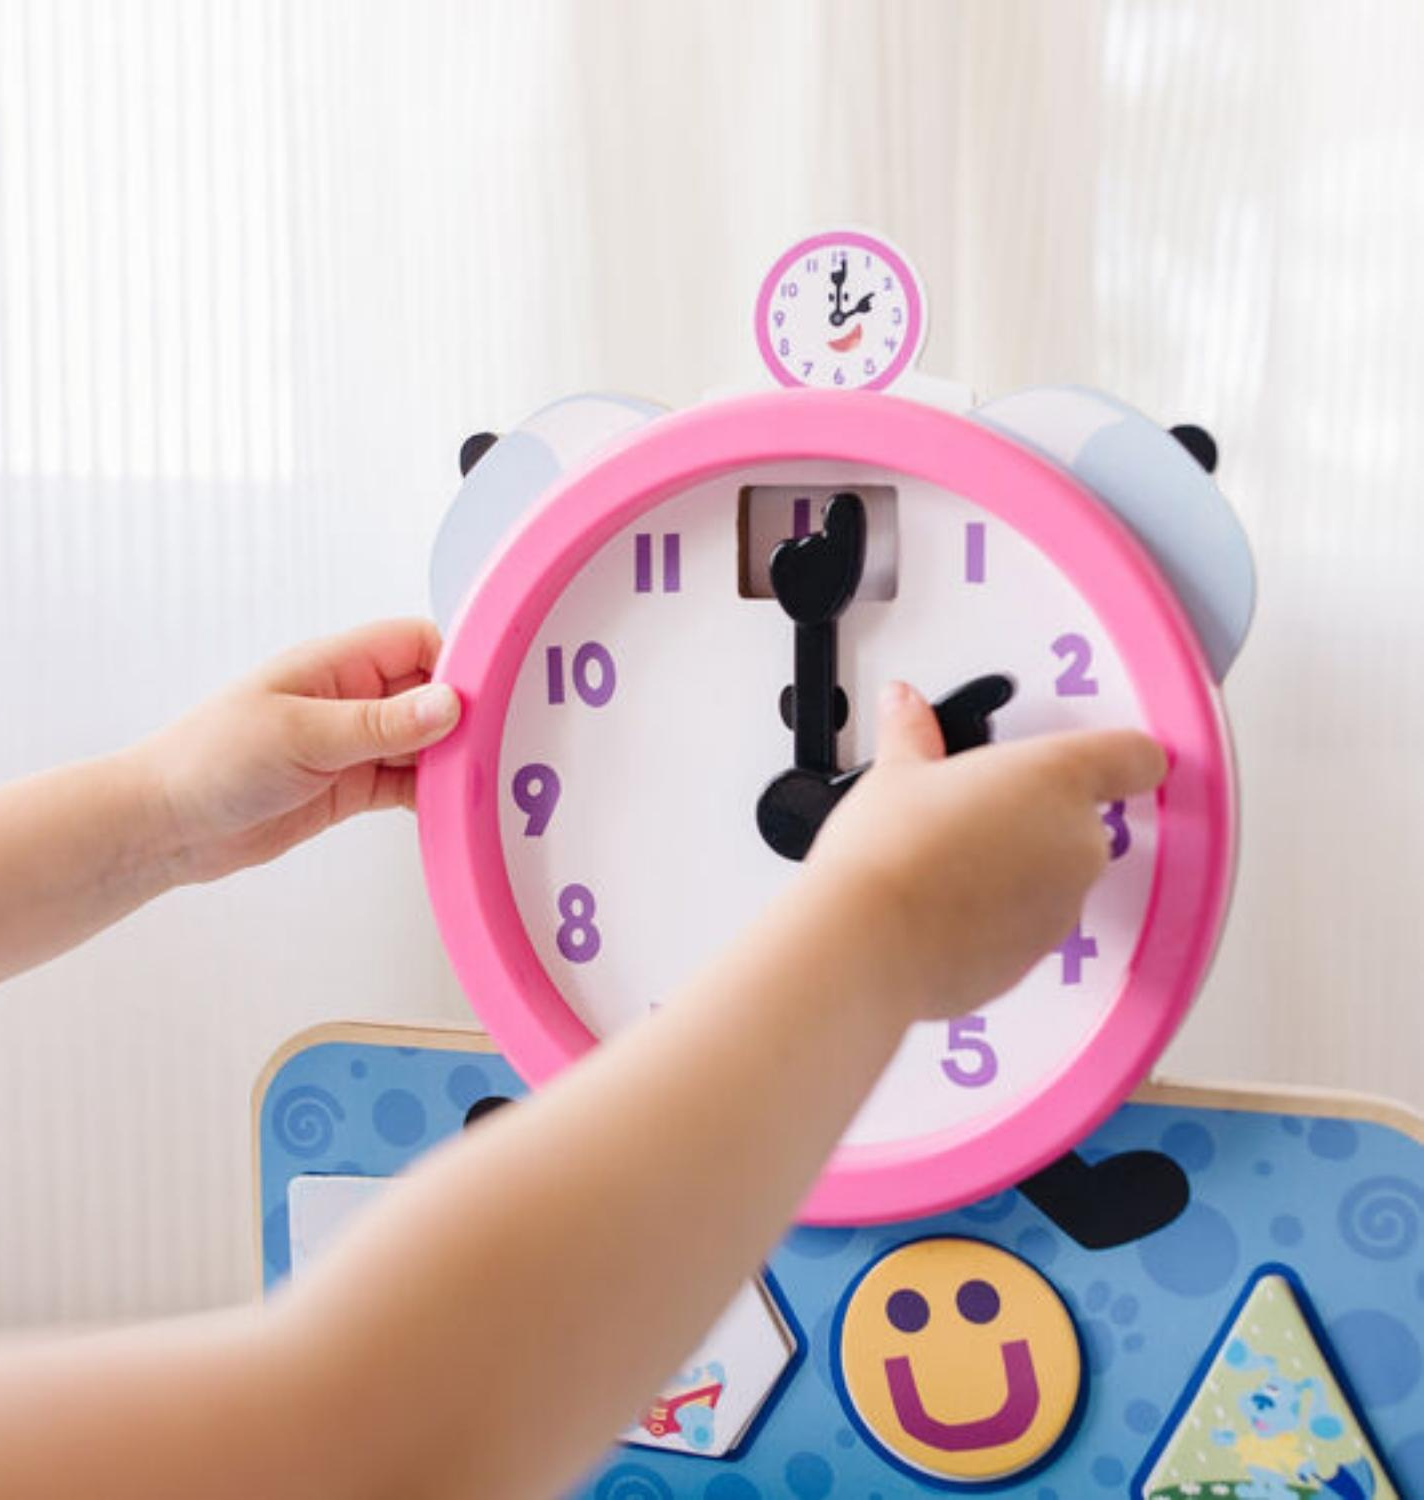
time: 12:00
